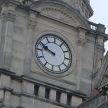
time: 9:48
